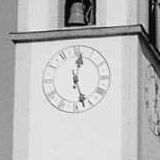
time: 12:27
